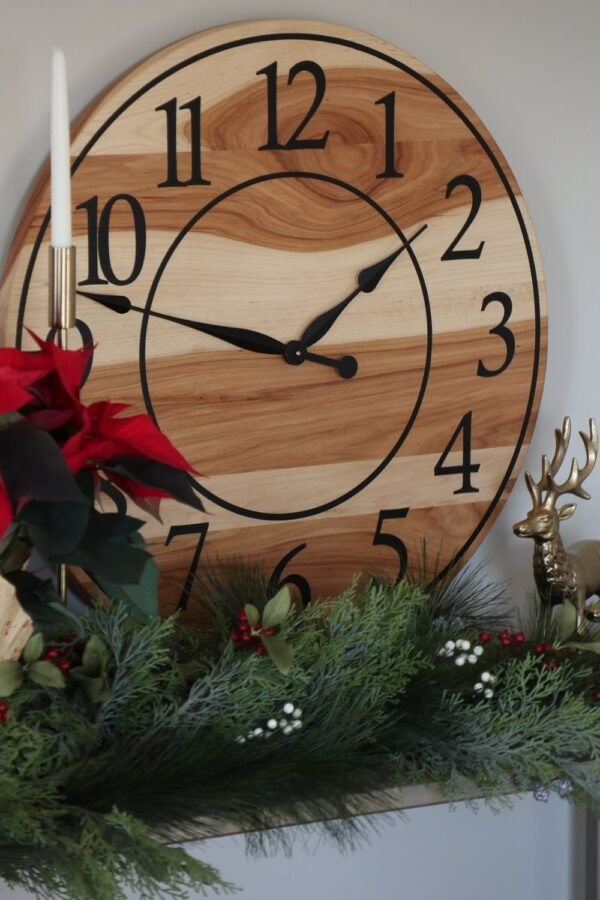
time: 1:47
